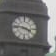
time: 3:46
